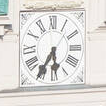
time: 5:35
